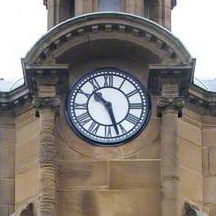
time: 10:26
